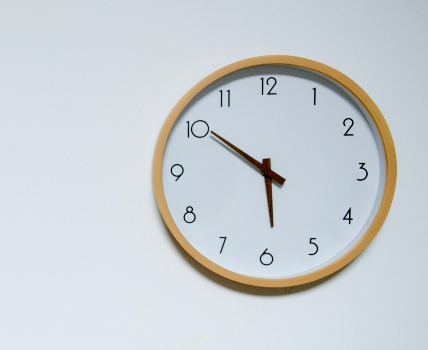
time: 5:50
